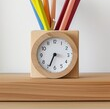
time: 3:34
